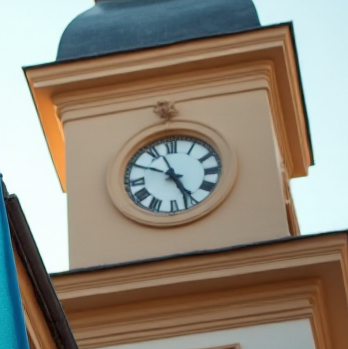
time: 4:49
